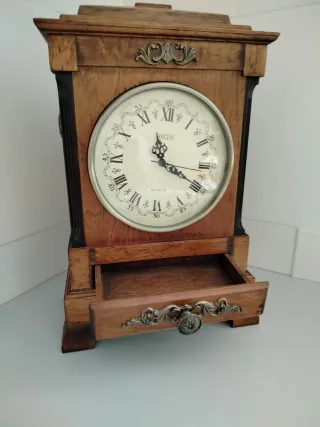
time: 11:19
